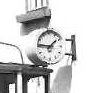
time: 1:46
